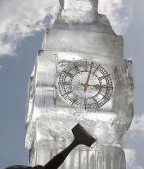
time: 3:02
